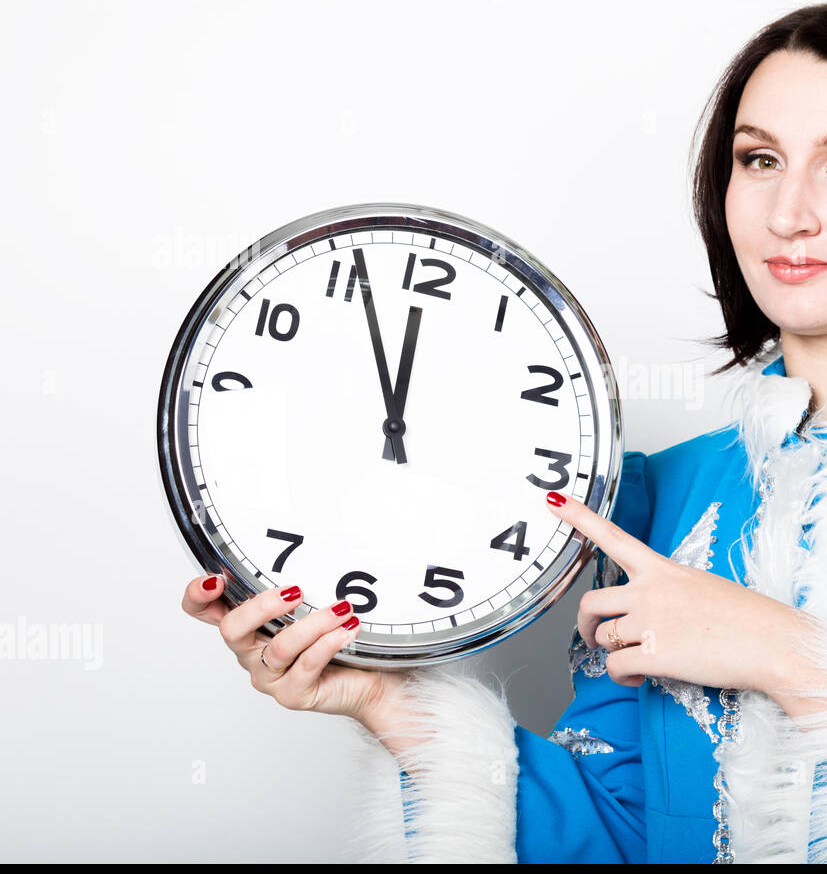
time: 11:56
